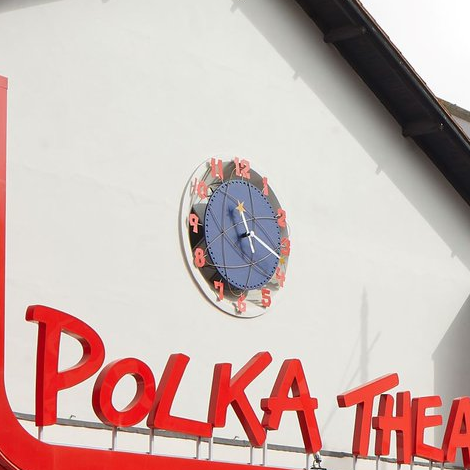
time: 11:17
